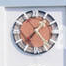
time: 7:22
